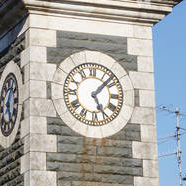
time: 5:07
